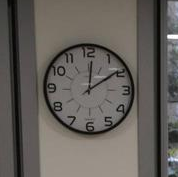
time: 12:09
